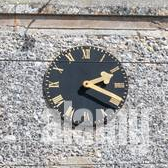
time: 2:18
